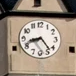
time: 8:23
